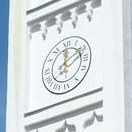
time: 12:09
